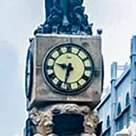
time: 9:32
